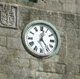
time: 12:23
